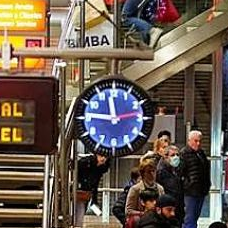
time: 11:46
